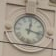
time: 12:17
